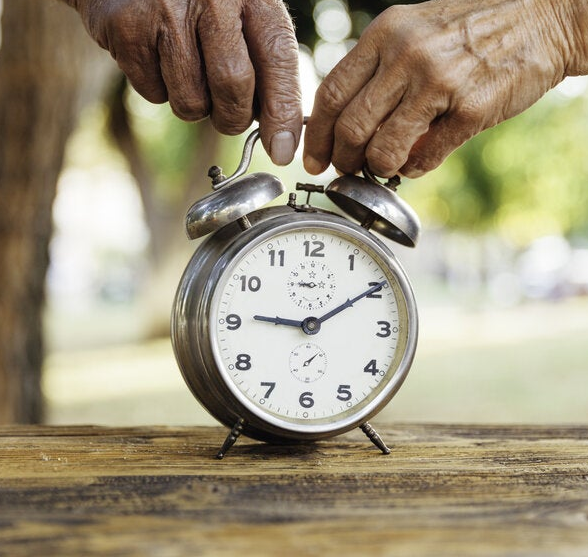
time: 9:09
